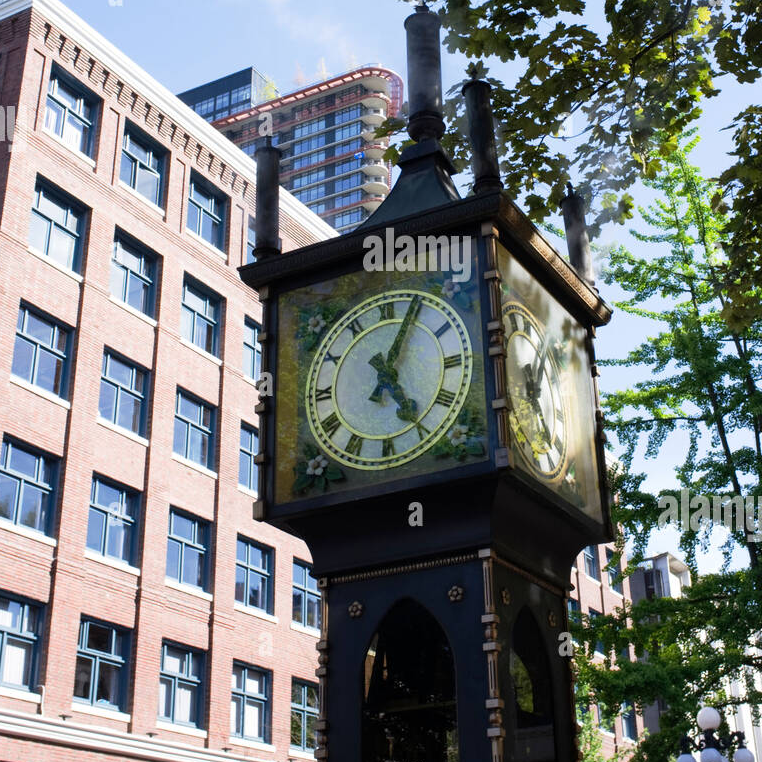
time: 5:04
